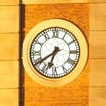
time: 6:39
